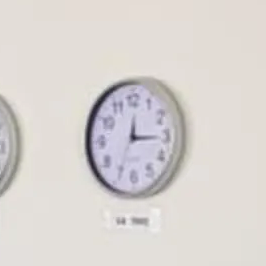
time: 12:15
